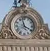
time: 3:57
